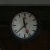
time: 11:37
